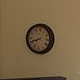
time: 7:41
